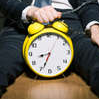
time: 8:34
